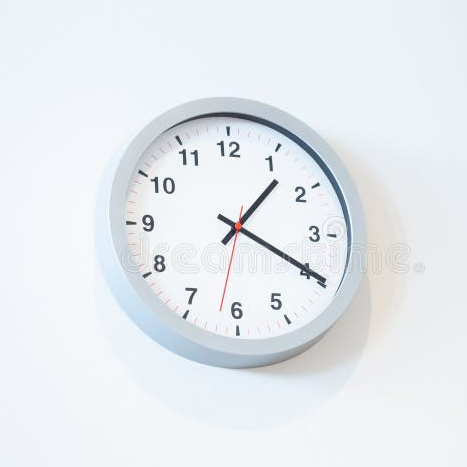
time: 1:19
